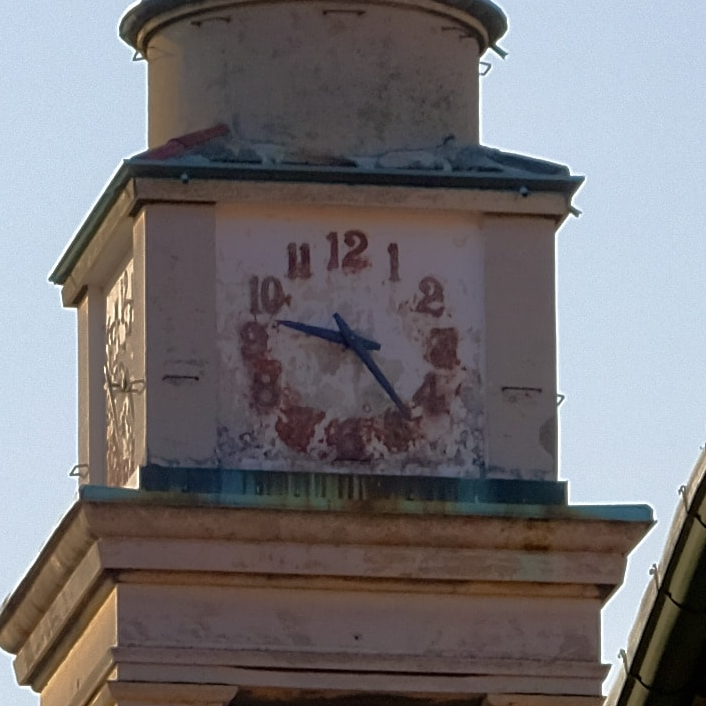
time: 9:23
